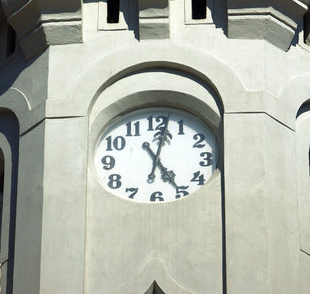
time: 5:02
